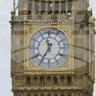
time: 11:35
